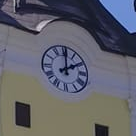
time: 2:00
